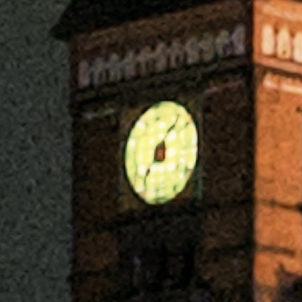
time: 7:07
